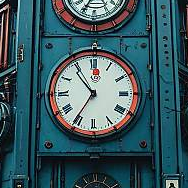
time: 10:35
